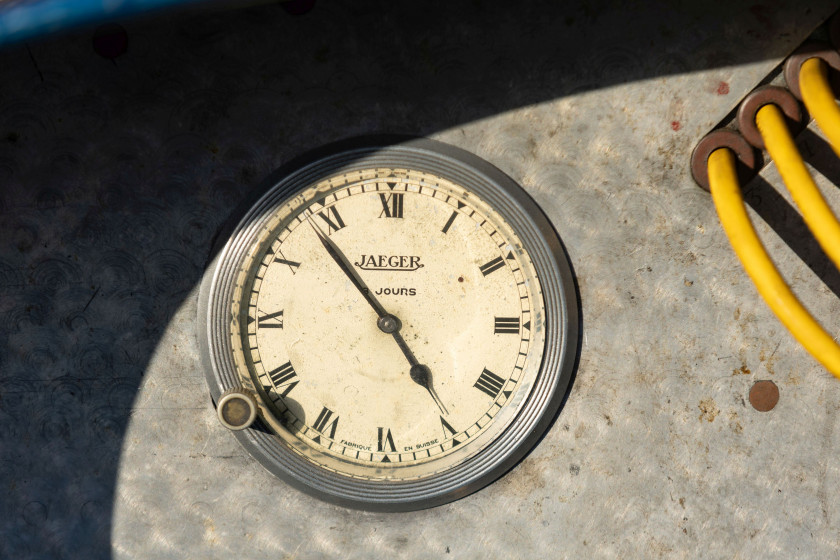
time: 4:53
